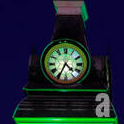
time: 4:34
